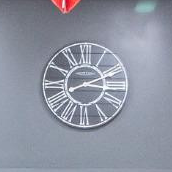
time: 3:11
